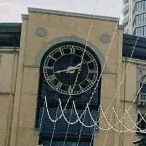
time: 1:42
